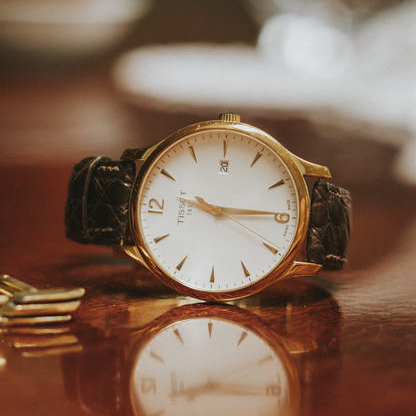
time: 9:14
